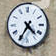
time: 4:35
